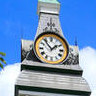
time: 1:53
